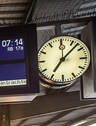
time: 7:07
